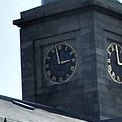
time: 2:58
